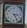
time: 3:24
